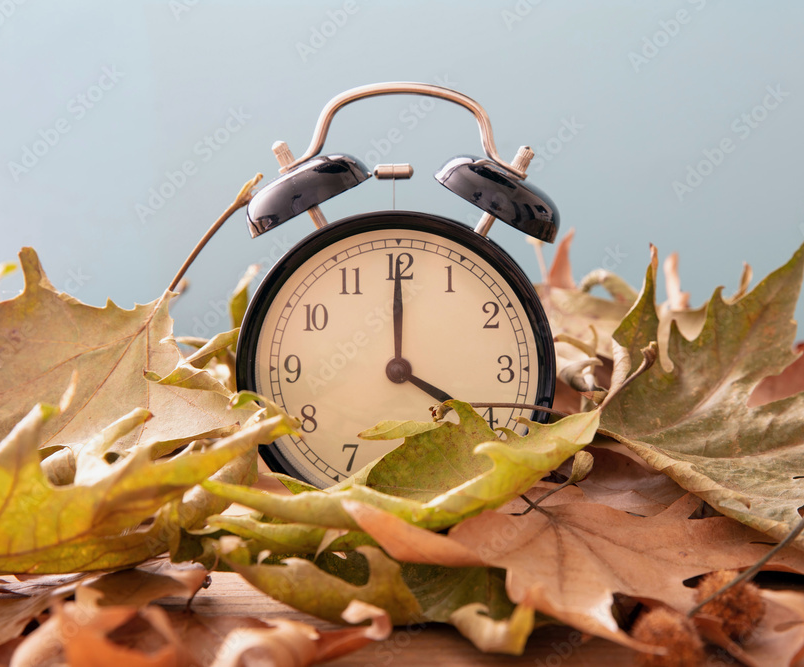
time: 4:00
